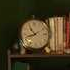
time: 10:42
